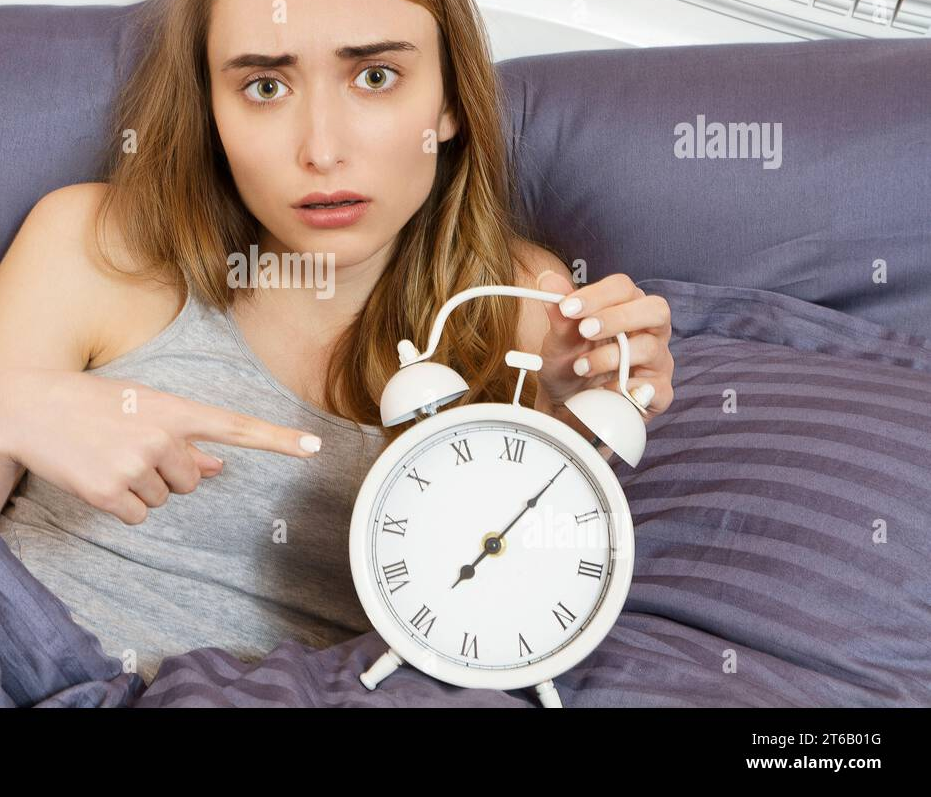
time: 7:05
